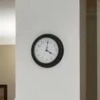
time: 4:02
